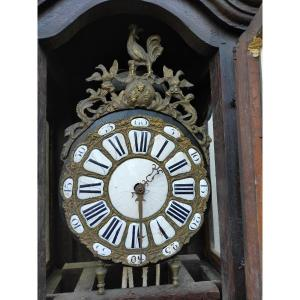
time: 1:28
